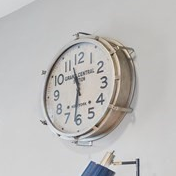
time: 11:31
